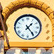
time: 1:23
